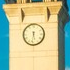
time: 5:31
